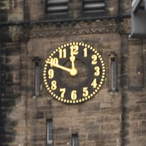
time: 11:49
